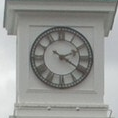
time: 2:20
